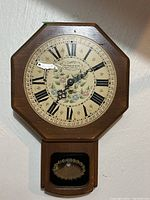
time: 7:09
